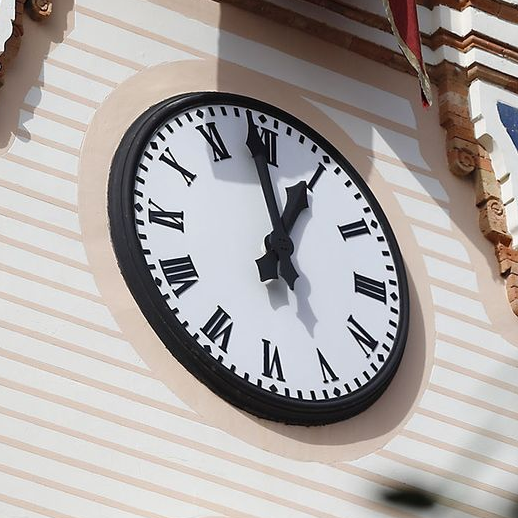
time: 12:58
